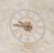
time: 9:45
